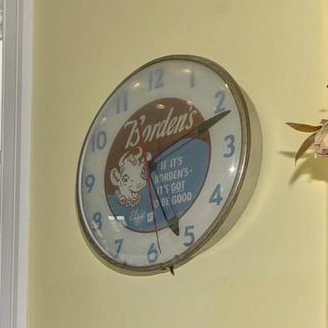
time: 5:11
